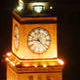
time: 9:22
